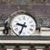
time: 9:34
